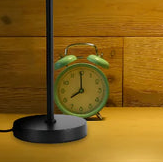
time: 7:59
